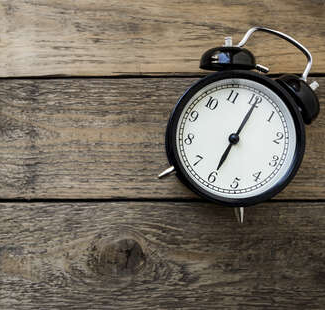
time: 7:06
